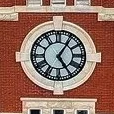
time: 5:05
